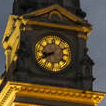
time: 8:40
